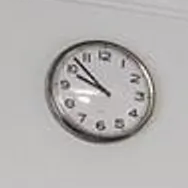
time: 9:52
